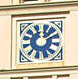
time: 12:09
